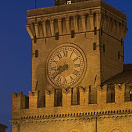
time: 8:38
